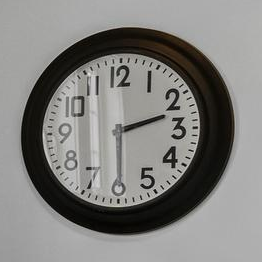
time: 2:29
